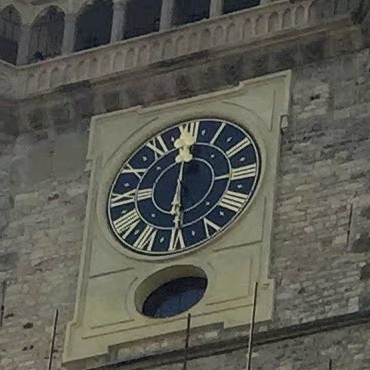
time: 5:59
